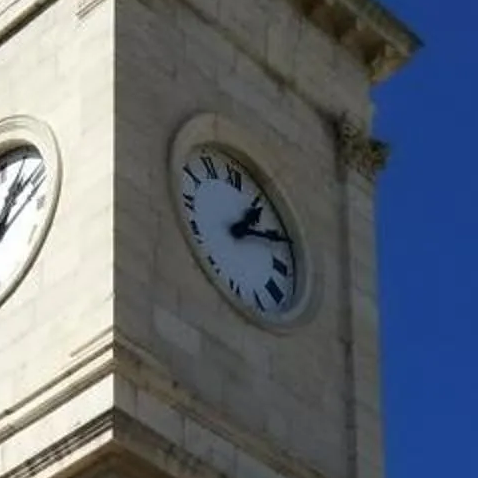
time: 1:11
